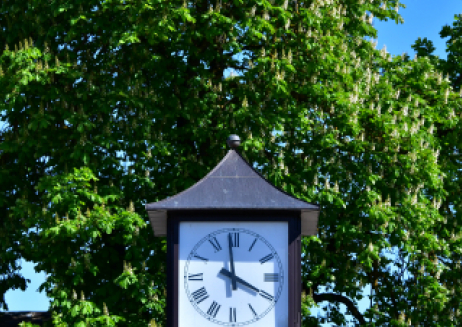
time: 3:59
